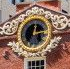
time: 12:13
